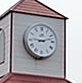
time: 9:12
